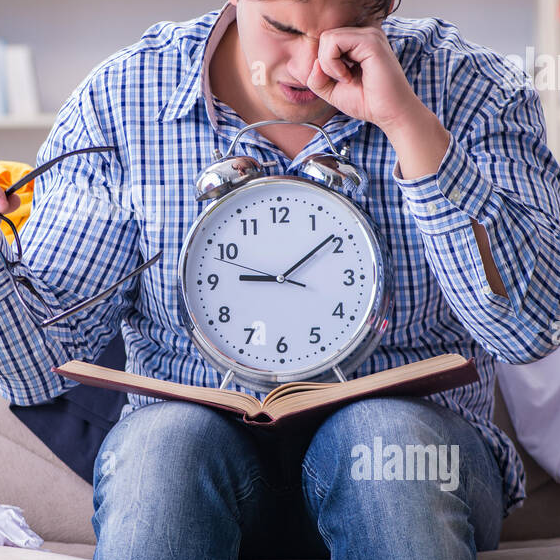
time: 9:08
